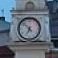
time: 6:52
